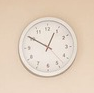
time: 12:50
